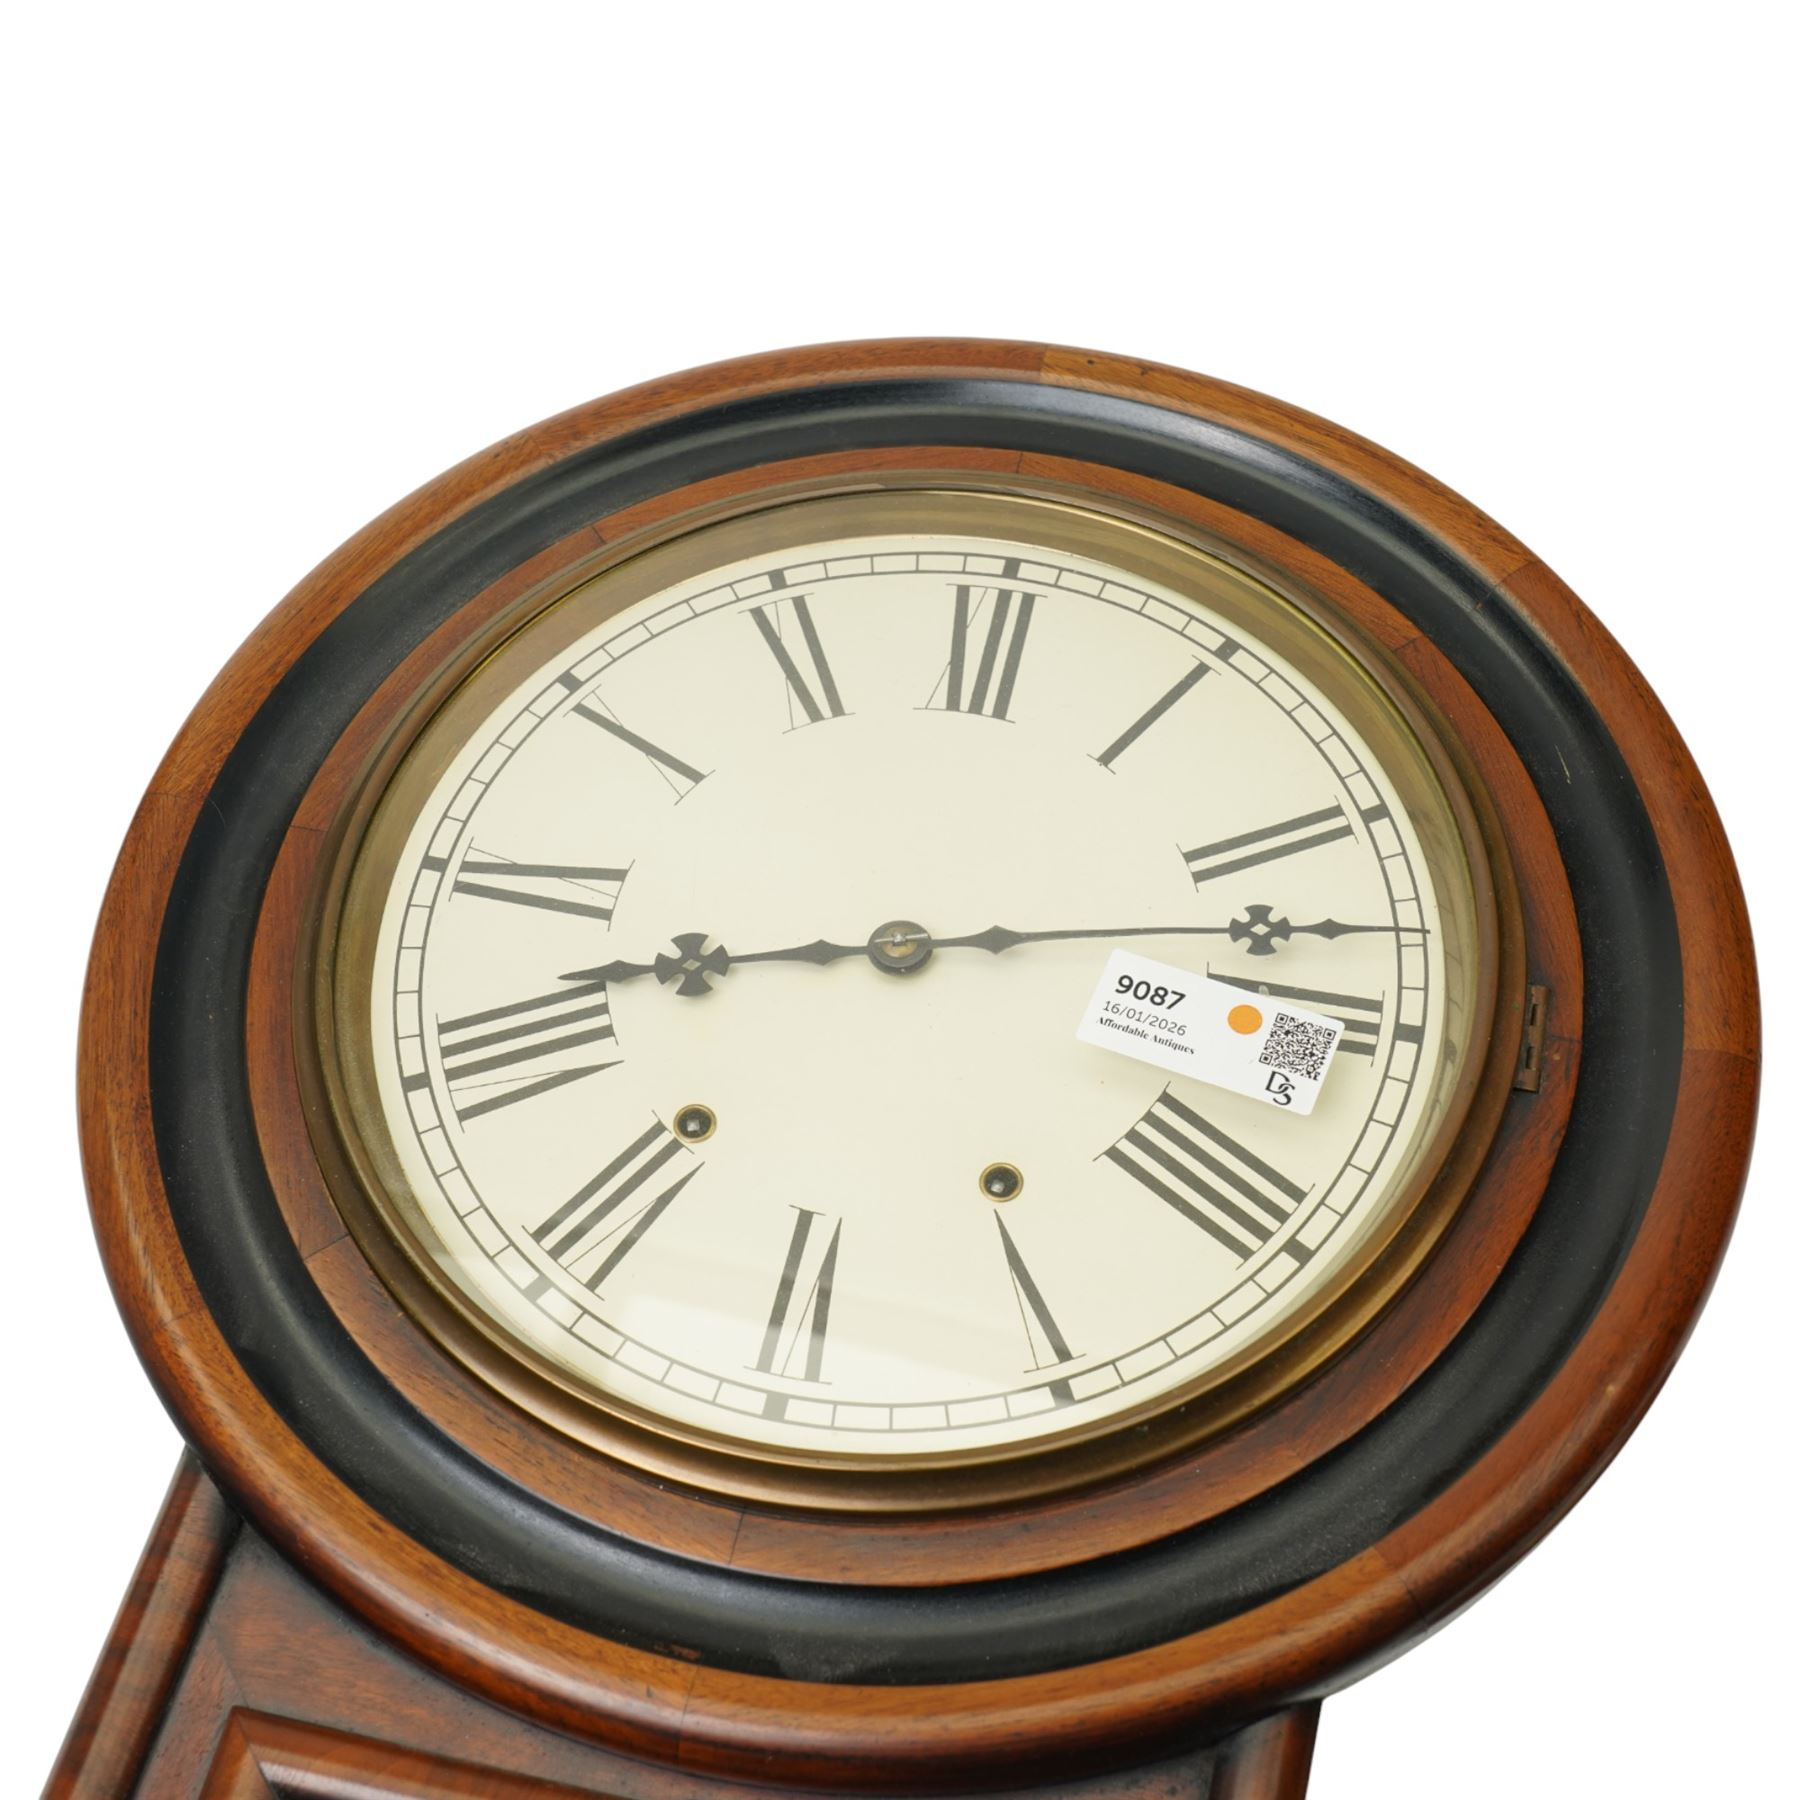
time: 8:12
